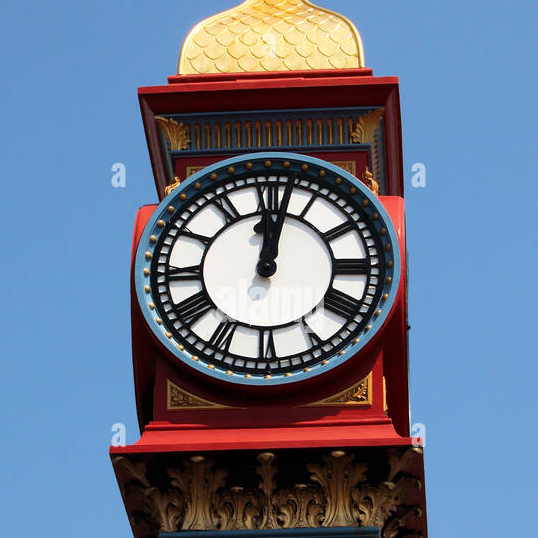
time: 12:02
